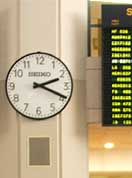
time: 2:19
